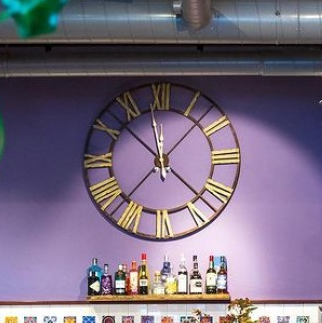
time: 11:52
